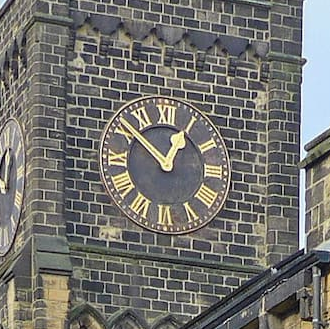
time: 12:51
